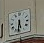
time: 5:31
